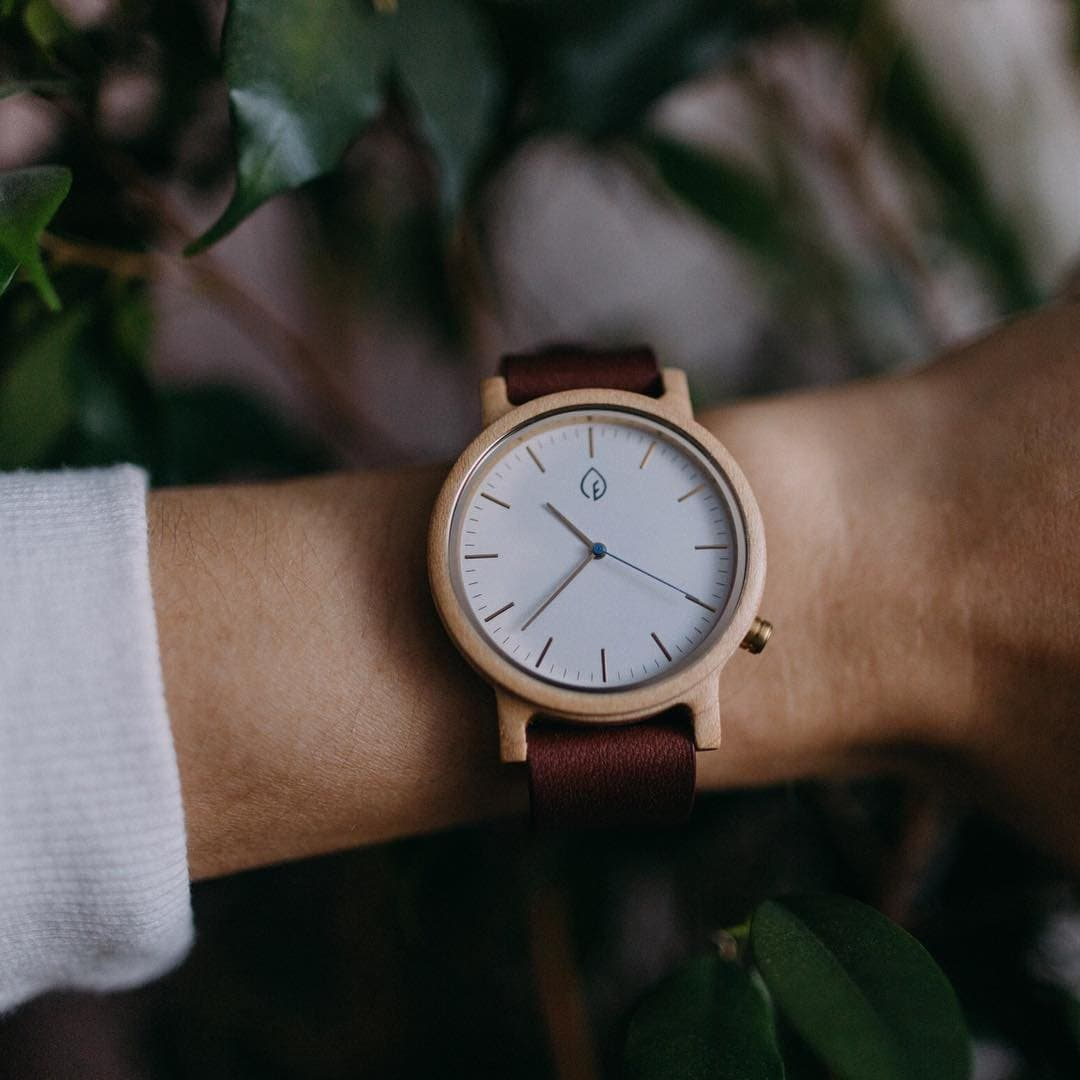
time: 10:37
